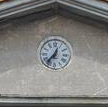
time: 12:36
